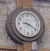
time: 9:19
